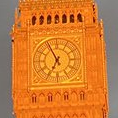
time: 6:55
